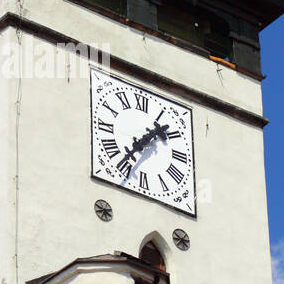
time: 1:36
